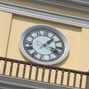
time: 1:18
